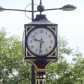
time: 9:31
